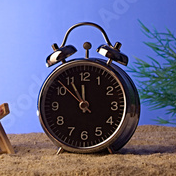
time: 11:52
